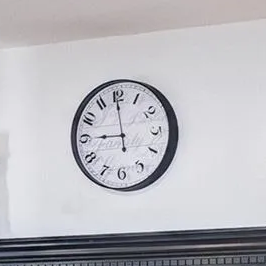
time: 8:59
